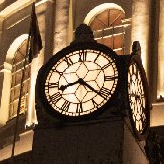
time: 8:21
